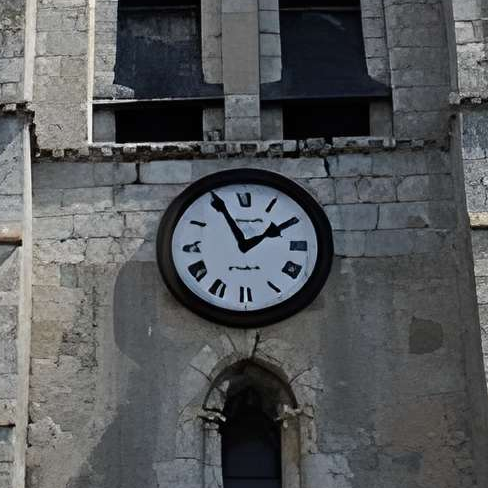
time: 1:55
